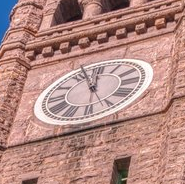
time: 11:56
